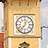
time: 12:36
